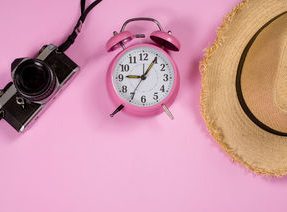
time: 9:05
